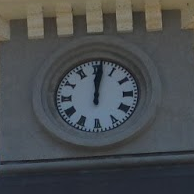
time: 12:01
